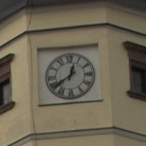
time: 12:39
